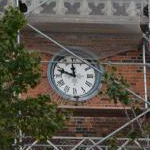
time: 11:48
